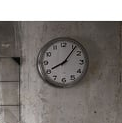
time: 8:06
